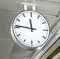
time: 11:46
